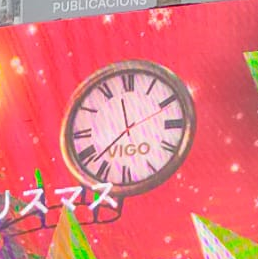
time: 11:37
